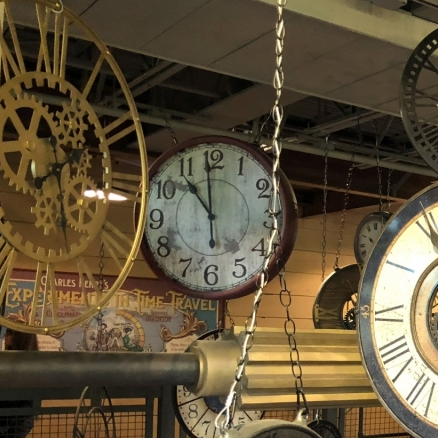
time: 10:59
